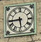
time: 5:43
